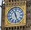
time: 11:26
